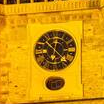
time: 10:22
